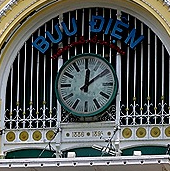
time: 12:08
